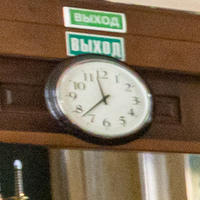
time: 11:37
